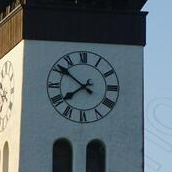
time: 7:51
